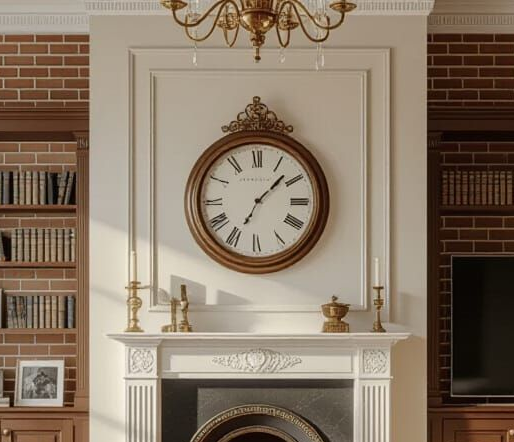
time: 1:34
